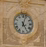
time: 5:03
